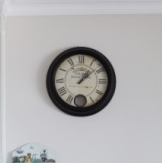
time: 1:08
